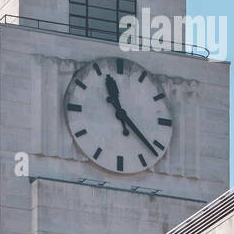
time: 11:22
